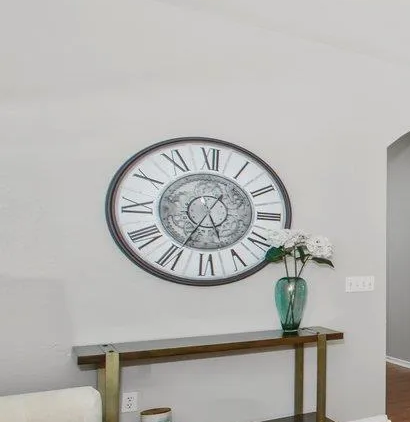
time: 5:34
